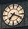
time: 7:18
